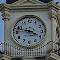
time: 3:46
